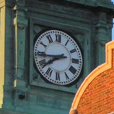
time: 7:43
